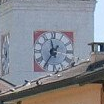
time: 11:35
